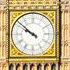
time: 9:51
